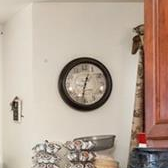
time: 12:32
